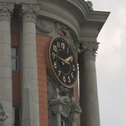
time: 1:46
